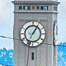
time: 1:05
